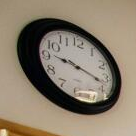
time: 9:17
